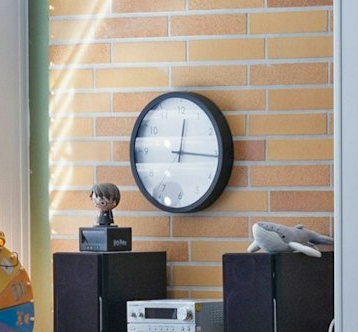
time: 12:15
